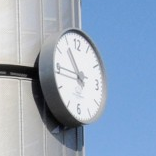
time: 10:45
